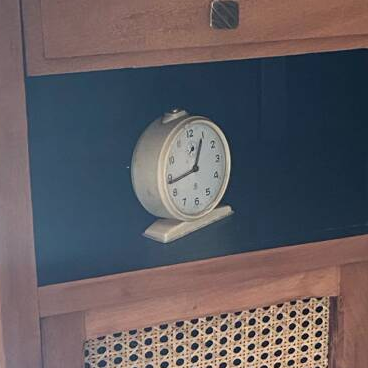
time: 12:43
